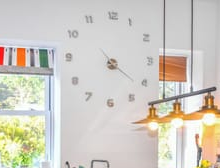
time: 4:21
